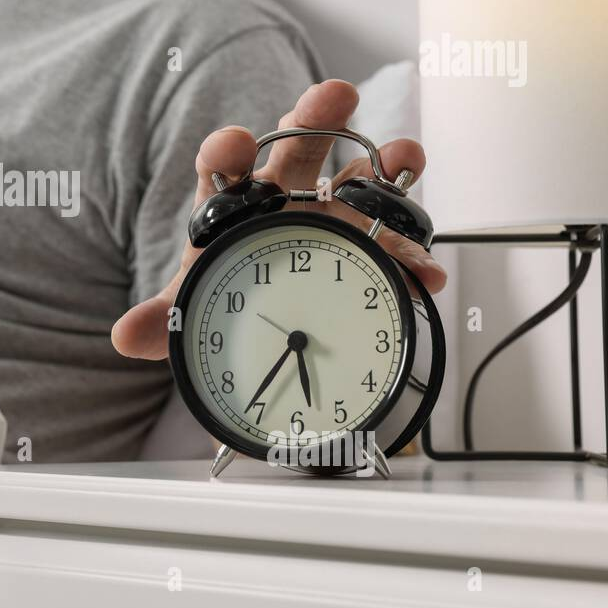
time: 5:36
